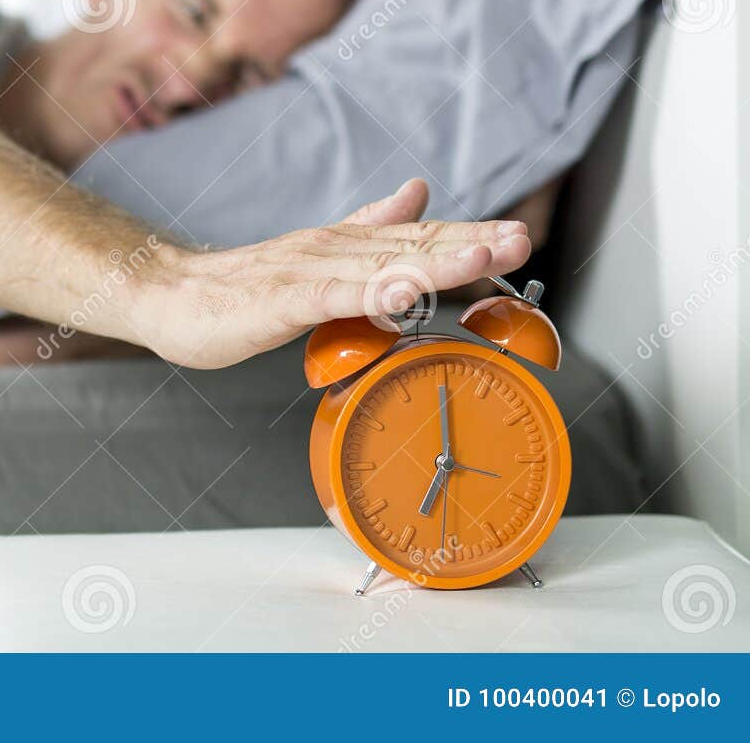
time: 7:00
